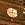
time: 9:01
